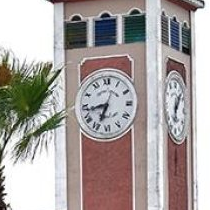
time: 6:43
